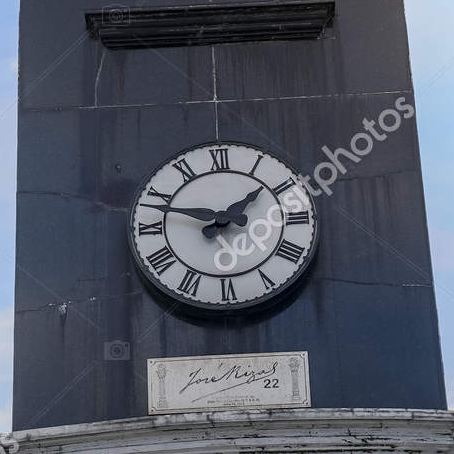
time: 1:47
